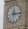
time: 12:14
